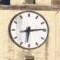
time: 6:14
